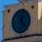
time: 12:22
